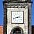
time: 2:42
